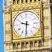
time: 9:31
